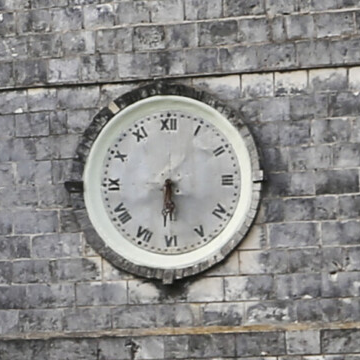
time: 5:30
